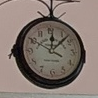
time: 12:07
